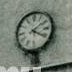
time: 4:09
